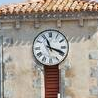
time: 11:18
